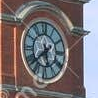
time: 5:38
